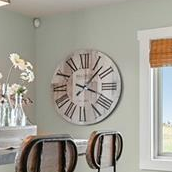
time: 1:18
